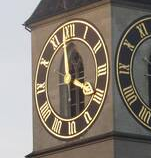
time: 3:58
